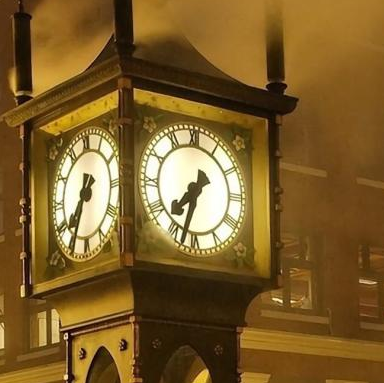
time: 7:32
